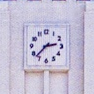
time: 2:37
